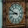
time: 8:49
